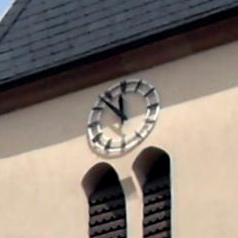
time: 11:53
